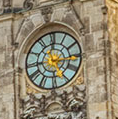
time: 5:14
